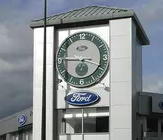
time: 3:45
